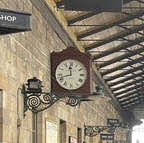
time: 11:42
